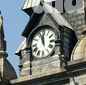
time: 11:57
